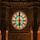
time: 5:59
